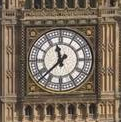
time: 11:37
